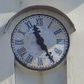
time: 11:25
